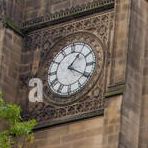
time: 1:20
